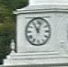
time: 11:03
